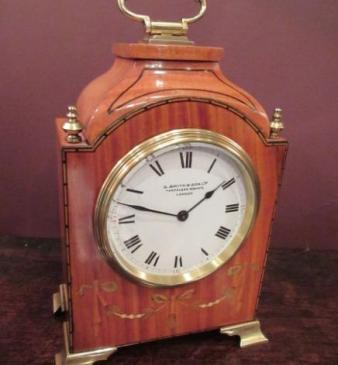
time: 1:47
